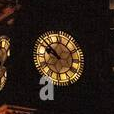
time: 9:51
